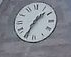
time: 1:34
